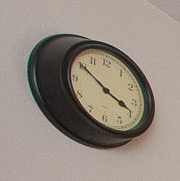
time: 3:50
